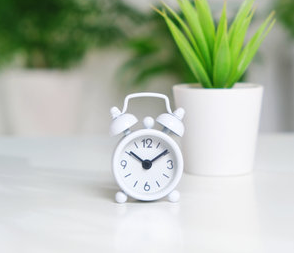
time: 10:09
